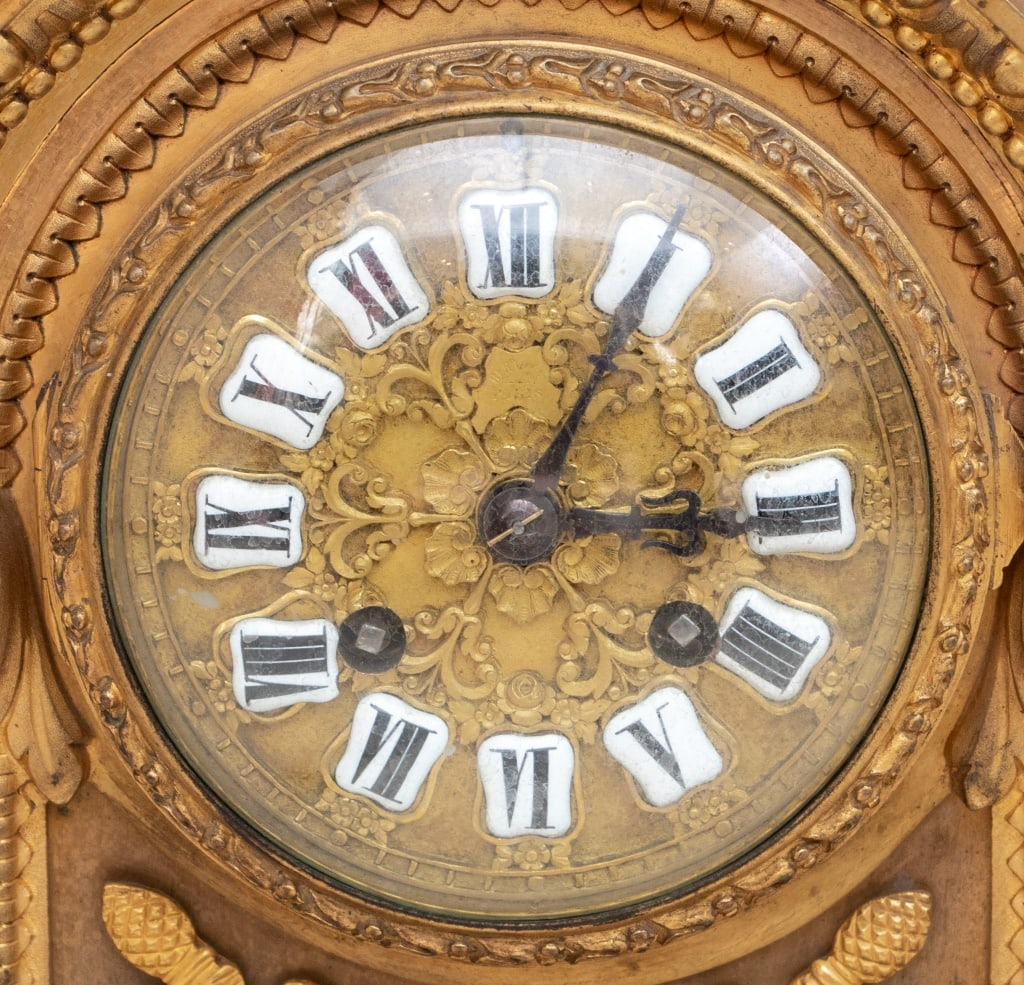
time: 3:04
